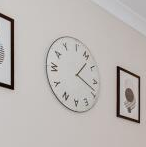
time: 1:18
